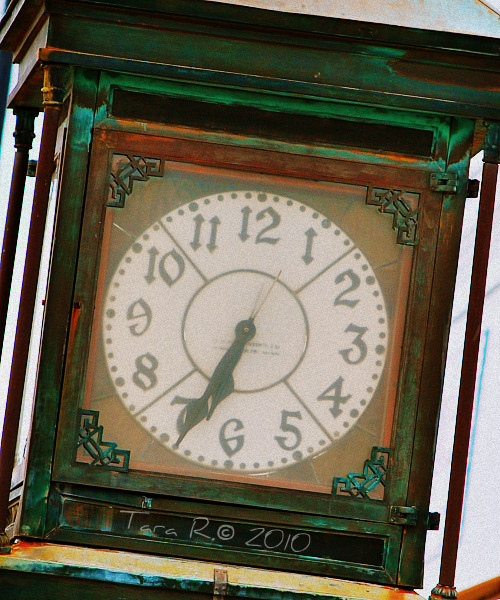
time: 6:34
